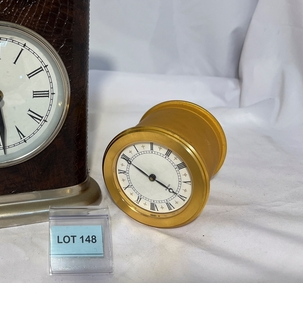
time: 3:49
